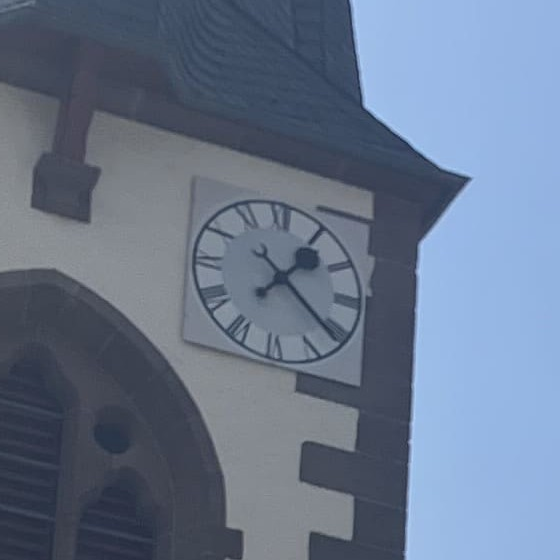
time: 1:21
